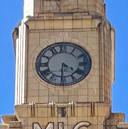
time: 4:30
